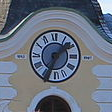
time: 1:34
